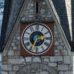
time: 2:34
